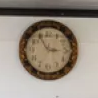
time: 2:54
